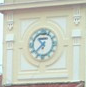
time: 10:37
